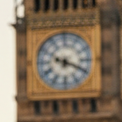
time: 6:18
